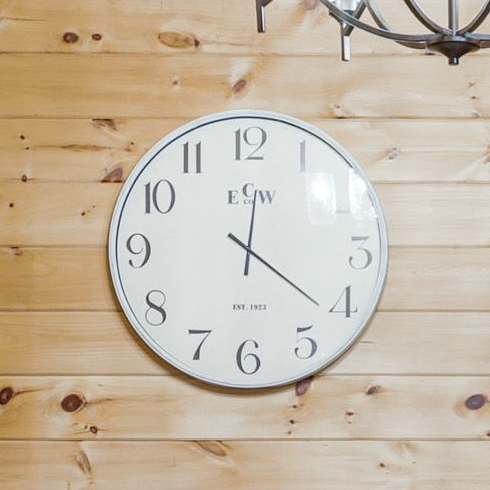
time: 12:21
